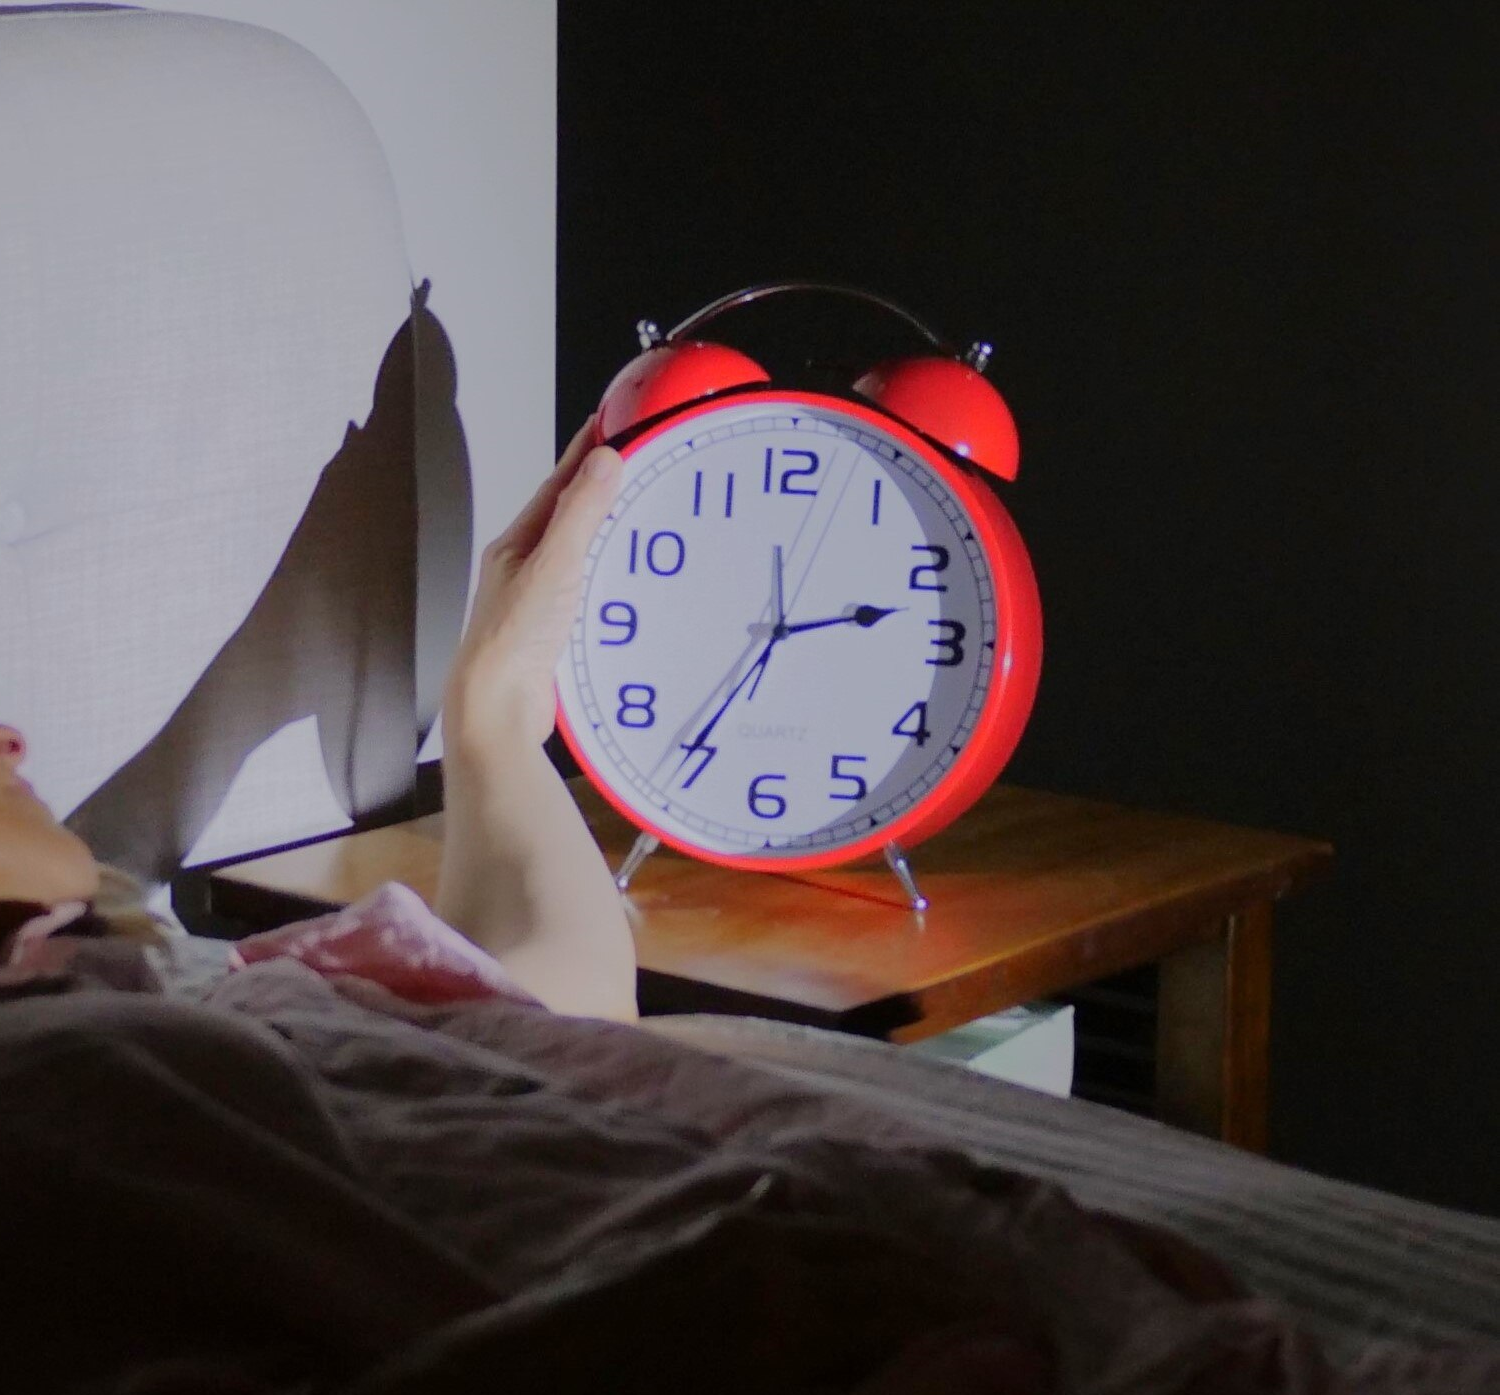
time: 2:35
